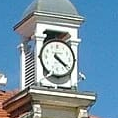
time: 4:20
